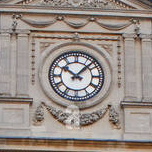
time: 10:07
